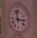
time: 2:58
